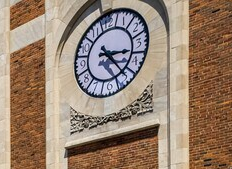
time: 3:23
